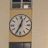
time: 12:34
